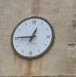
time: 12:45
